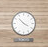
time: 3:52
